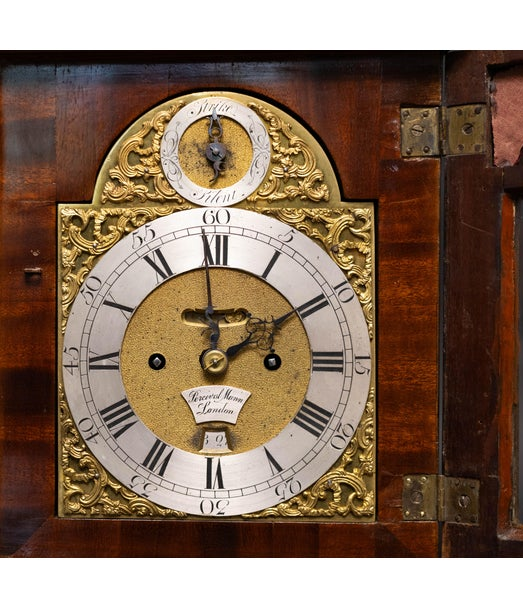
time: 1:59
